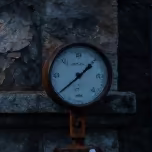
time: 1:38
